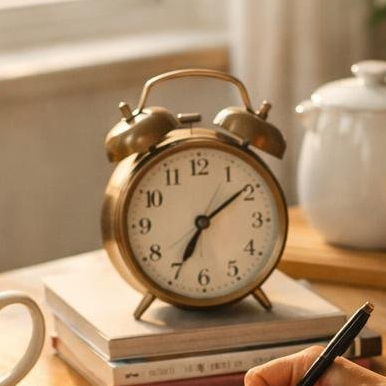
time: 7:09
